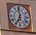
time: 6:58
